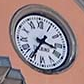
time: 3:35
